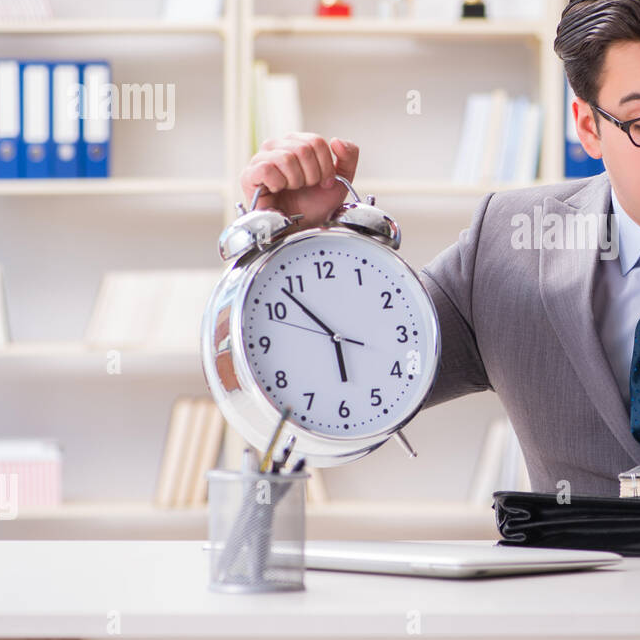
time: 5:53
